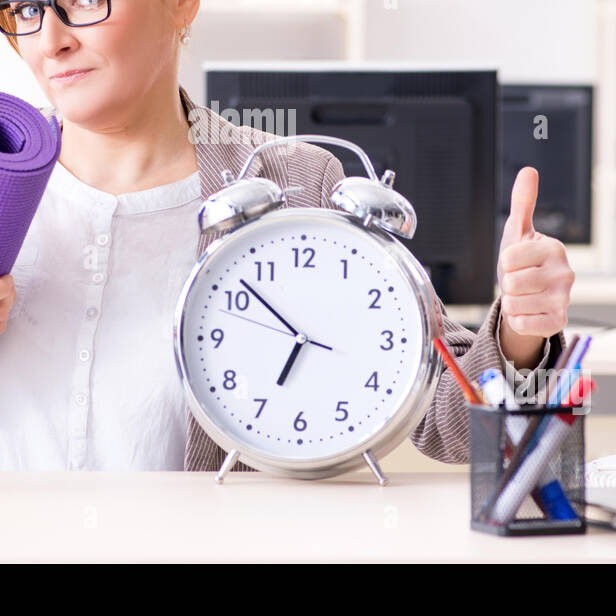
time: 6:52
